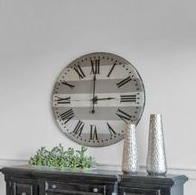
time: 2:59
